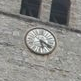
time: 5:18
